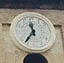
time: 11:35
